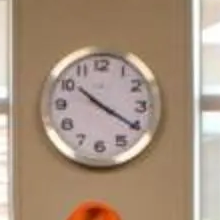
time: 10:20
